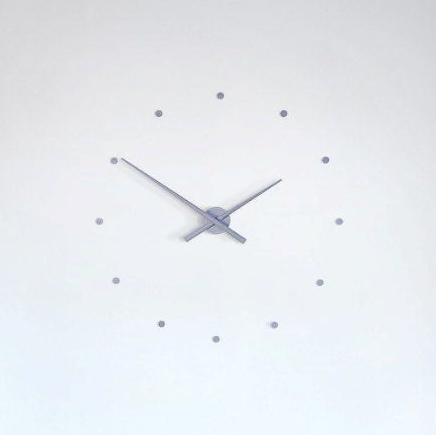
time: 1:50
